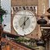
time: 1:32
